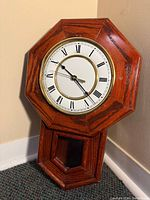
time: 10:22
